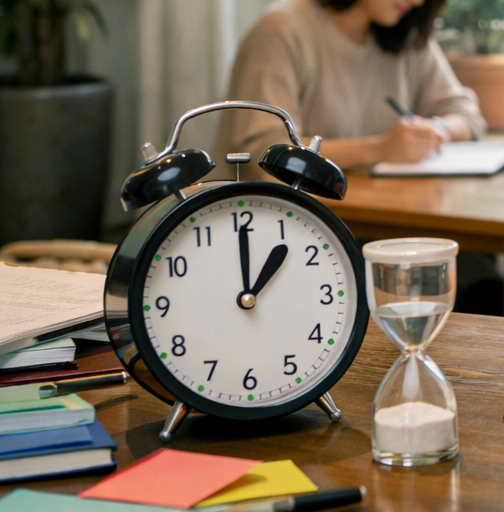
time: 1:00
